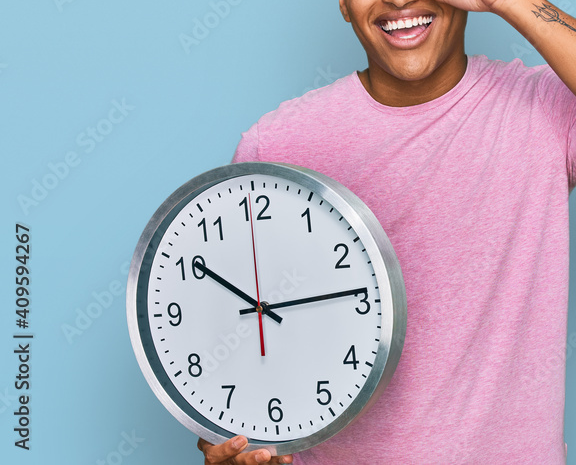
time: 10:13
